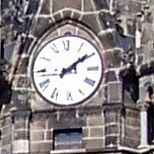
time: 2:09
